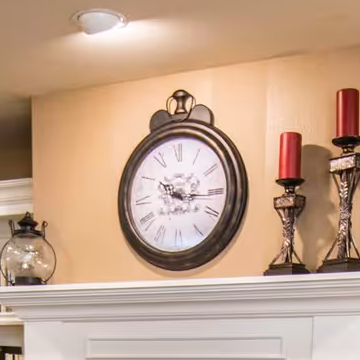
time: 10:15
